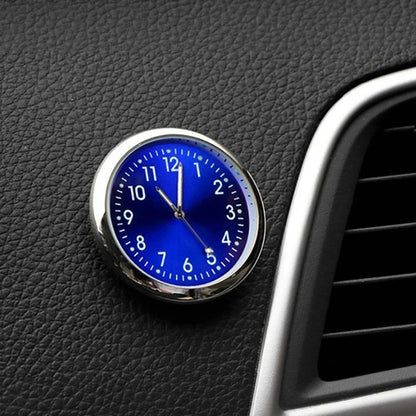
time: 11:01
